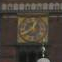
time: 12:40
